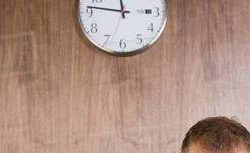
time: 11:46
